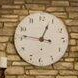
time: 12:46
